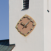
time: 10:07
